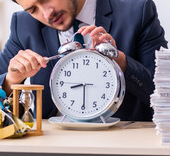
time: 8:29
